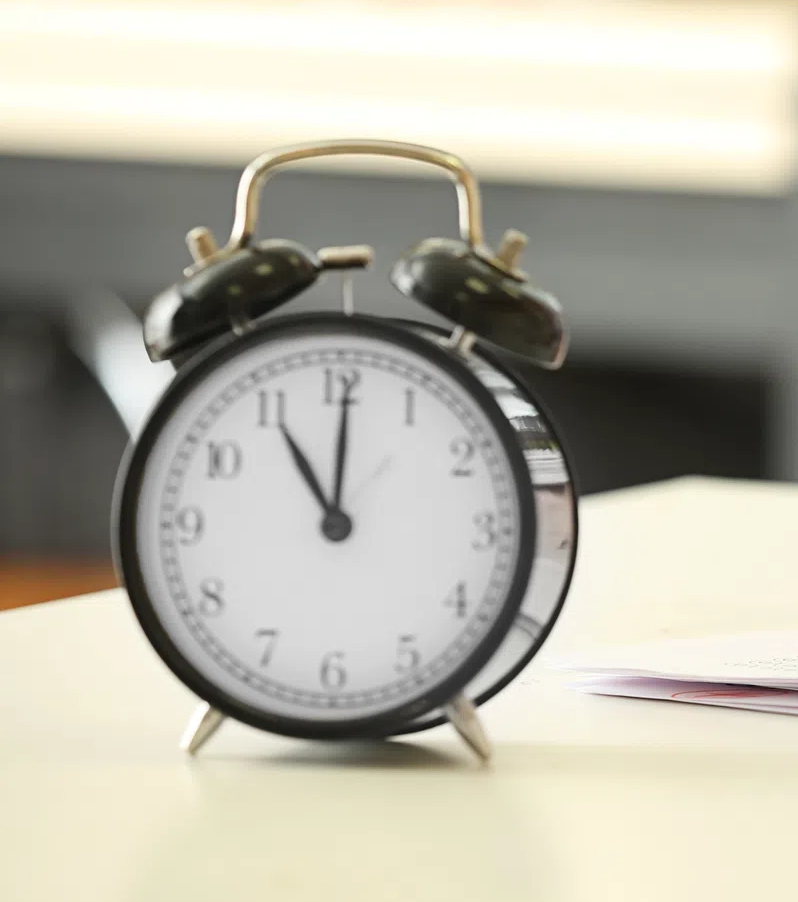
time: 11:00
